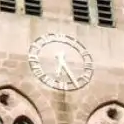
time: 6:25
